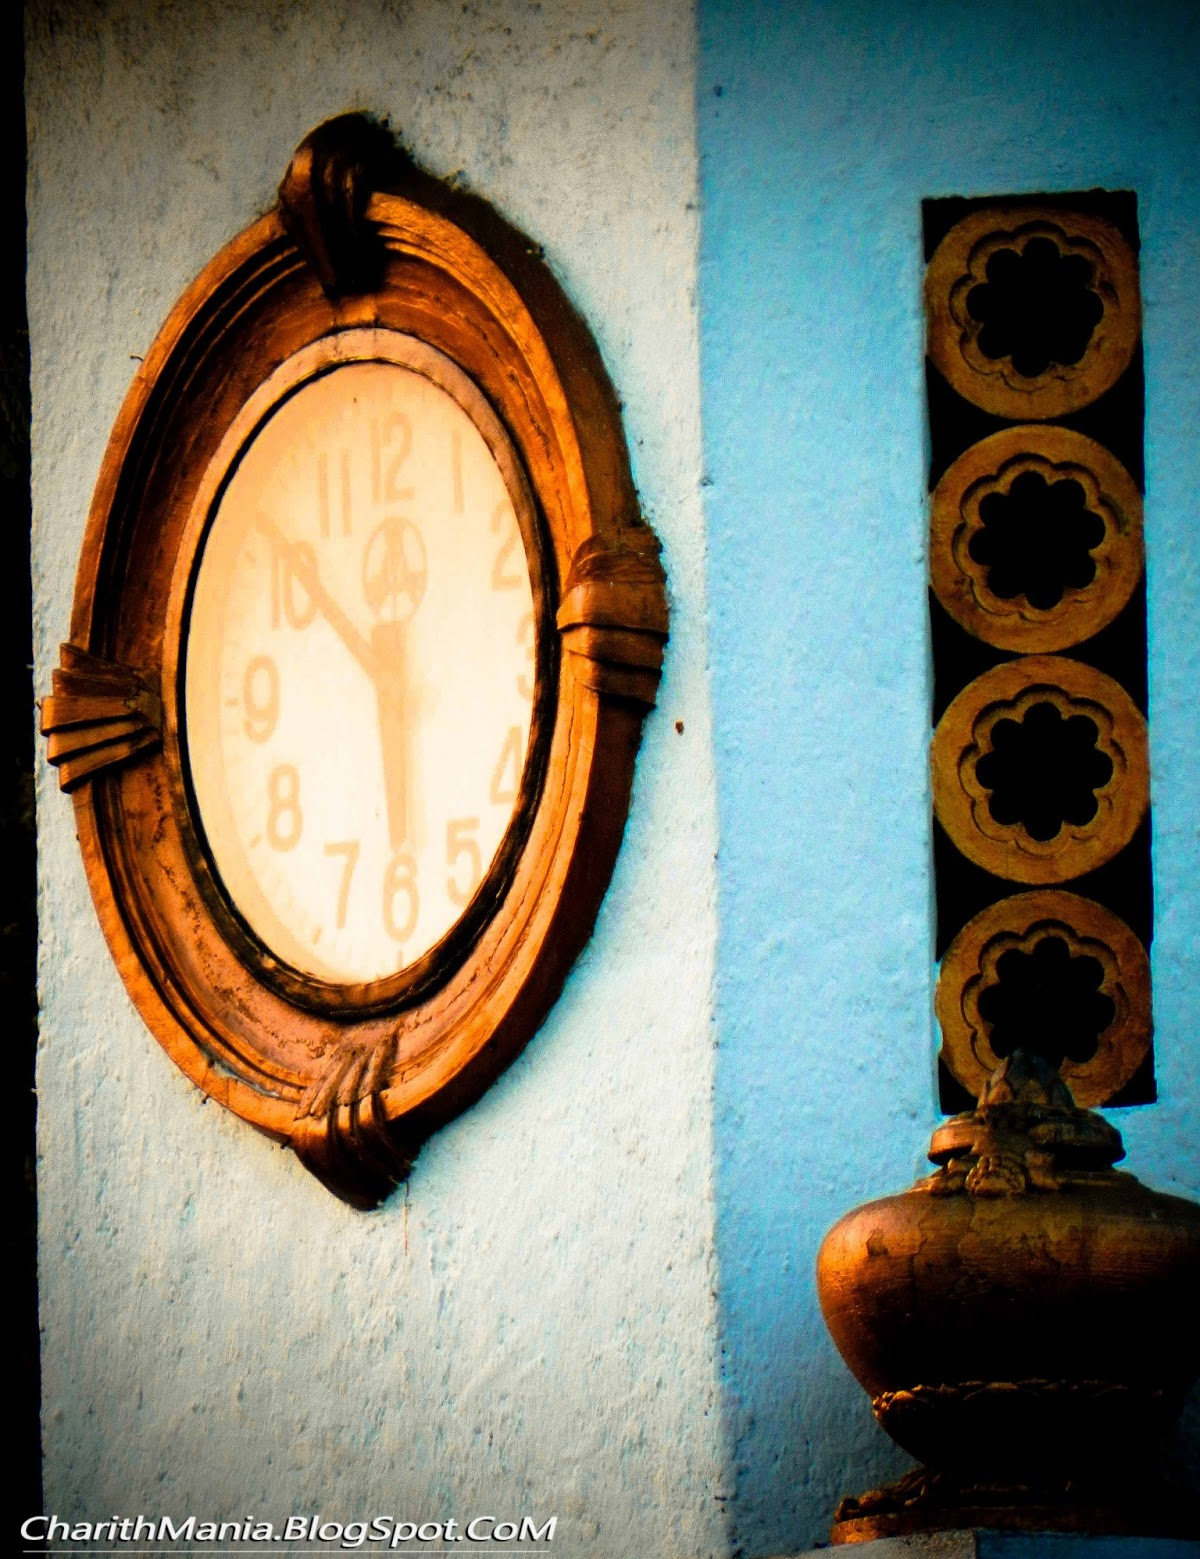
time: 5:51
